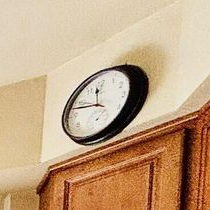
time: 11:47
